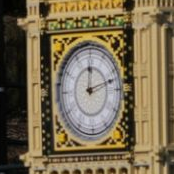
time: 12:12
